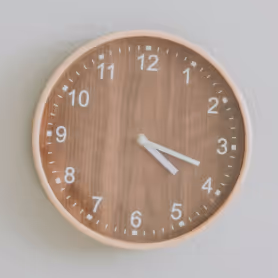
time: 4:18
